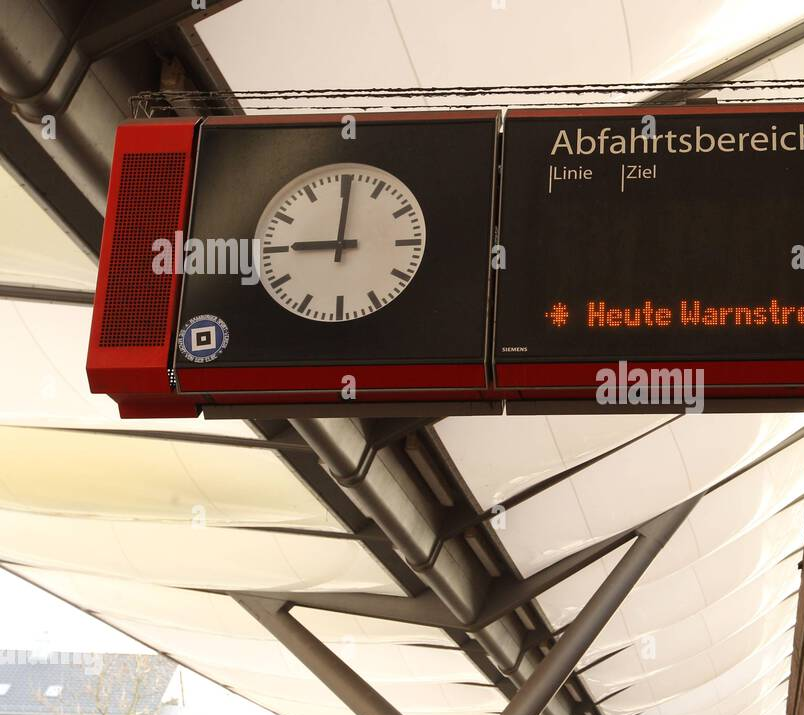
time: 9:00
